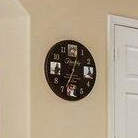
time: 12:33
